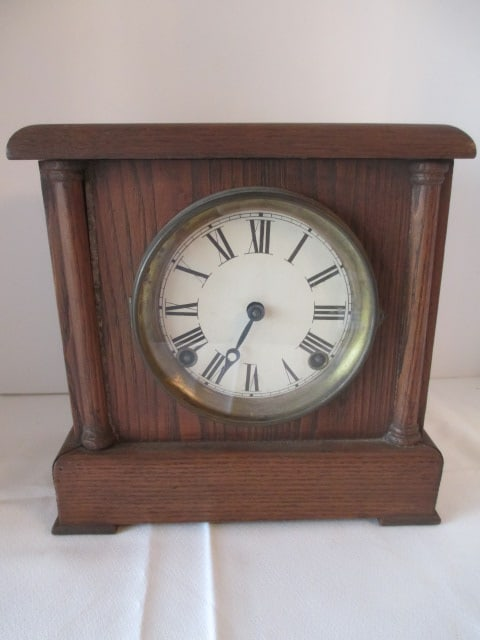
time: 6:34
